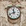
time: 11:41
